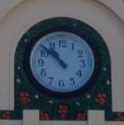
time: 10:51
